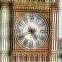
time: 4:41
